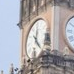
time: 12:23
